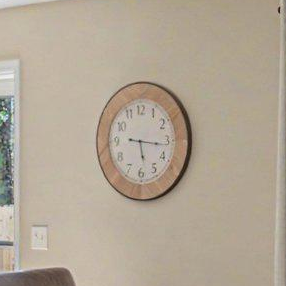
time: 9:16
